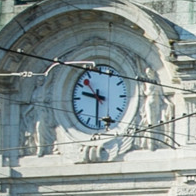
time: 9:30
